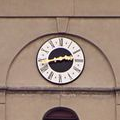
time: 2:43
